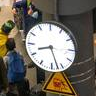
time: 8:27
